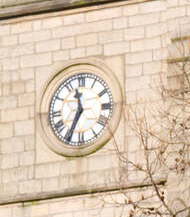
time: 11:34
